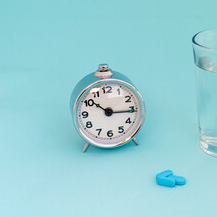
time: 10:15
